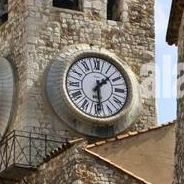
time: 1:29
